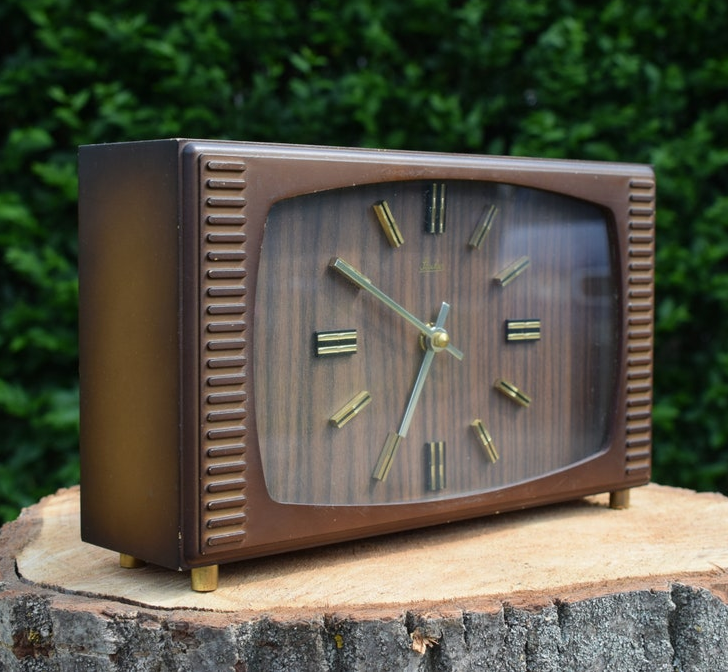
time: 6:50
